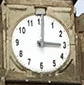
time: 3:00
